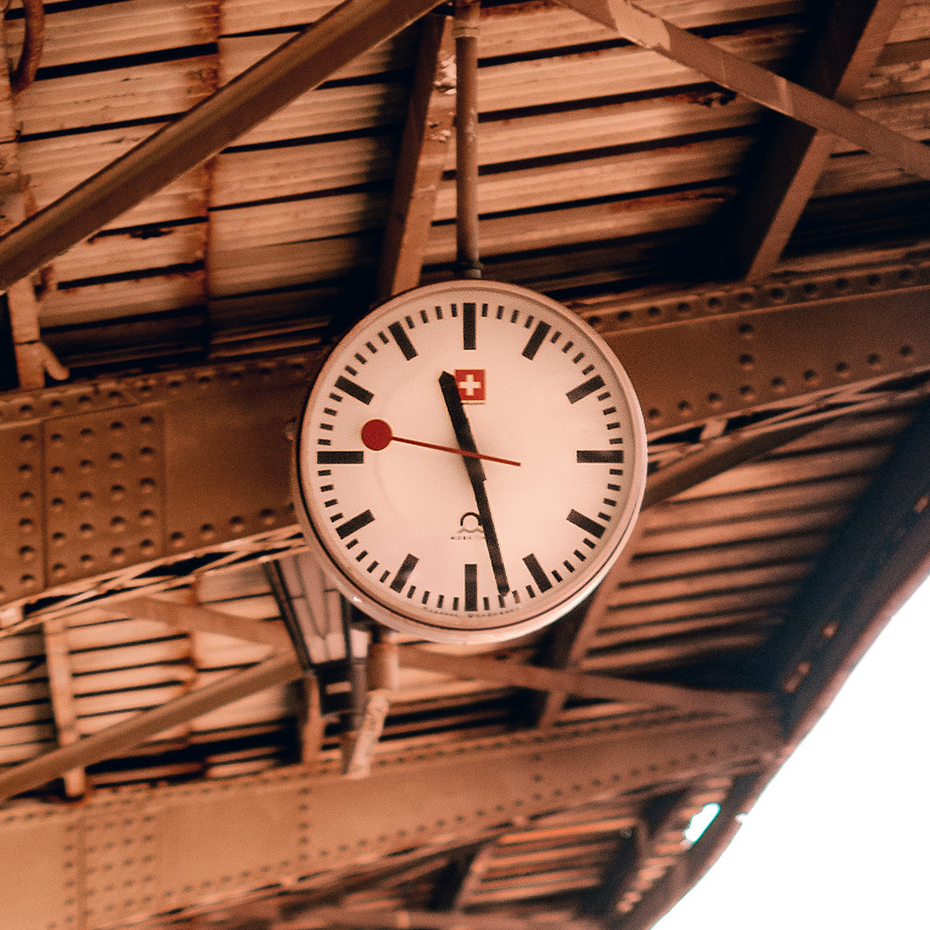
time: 11:27
